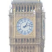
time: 1:12
